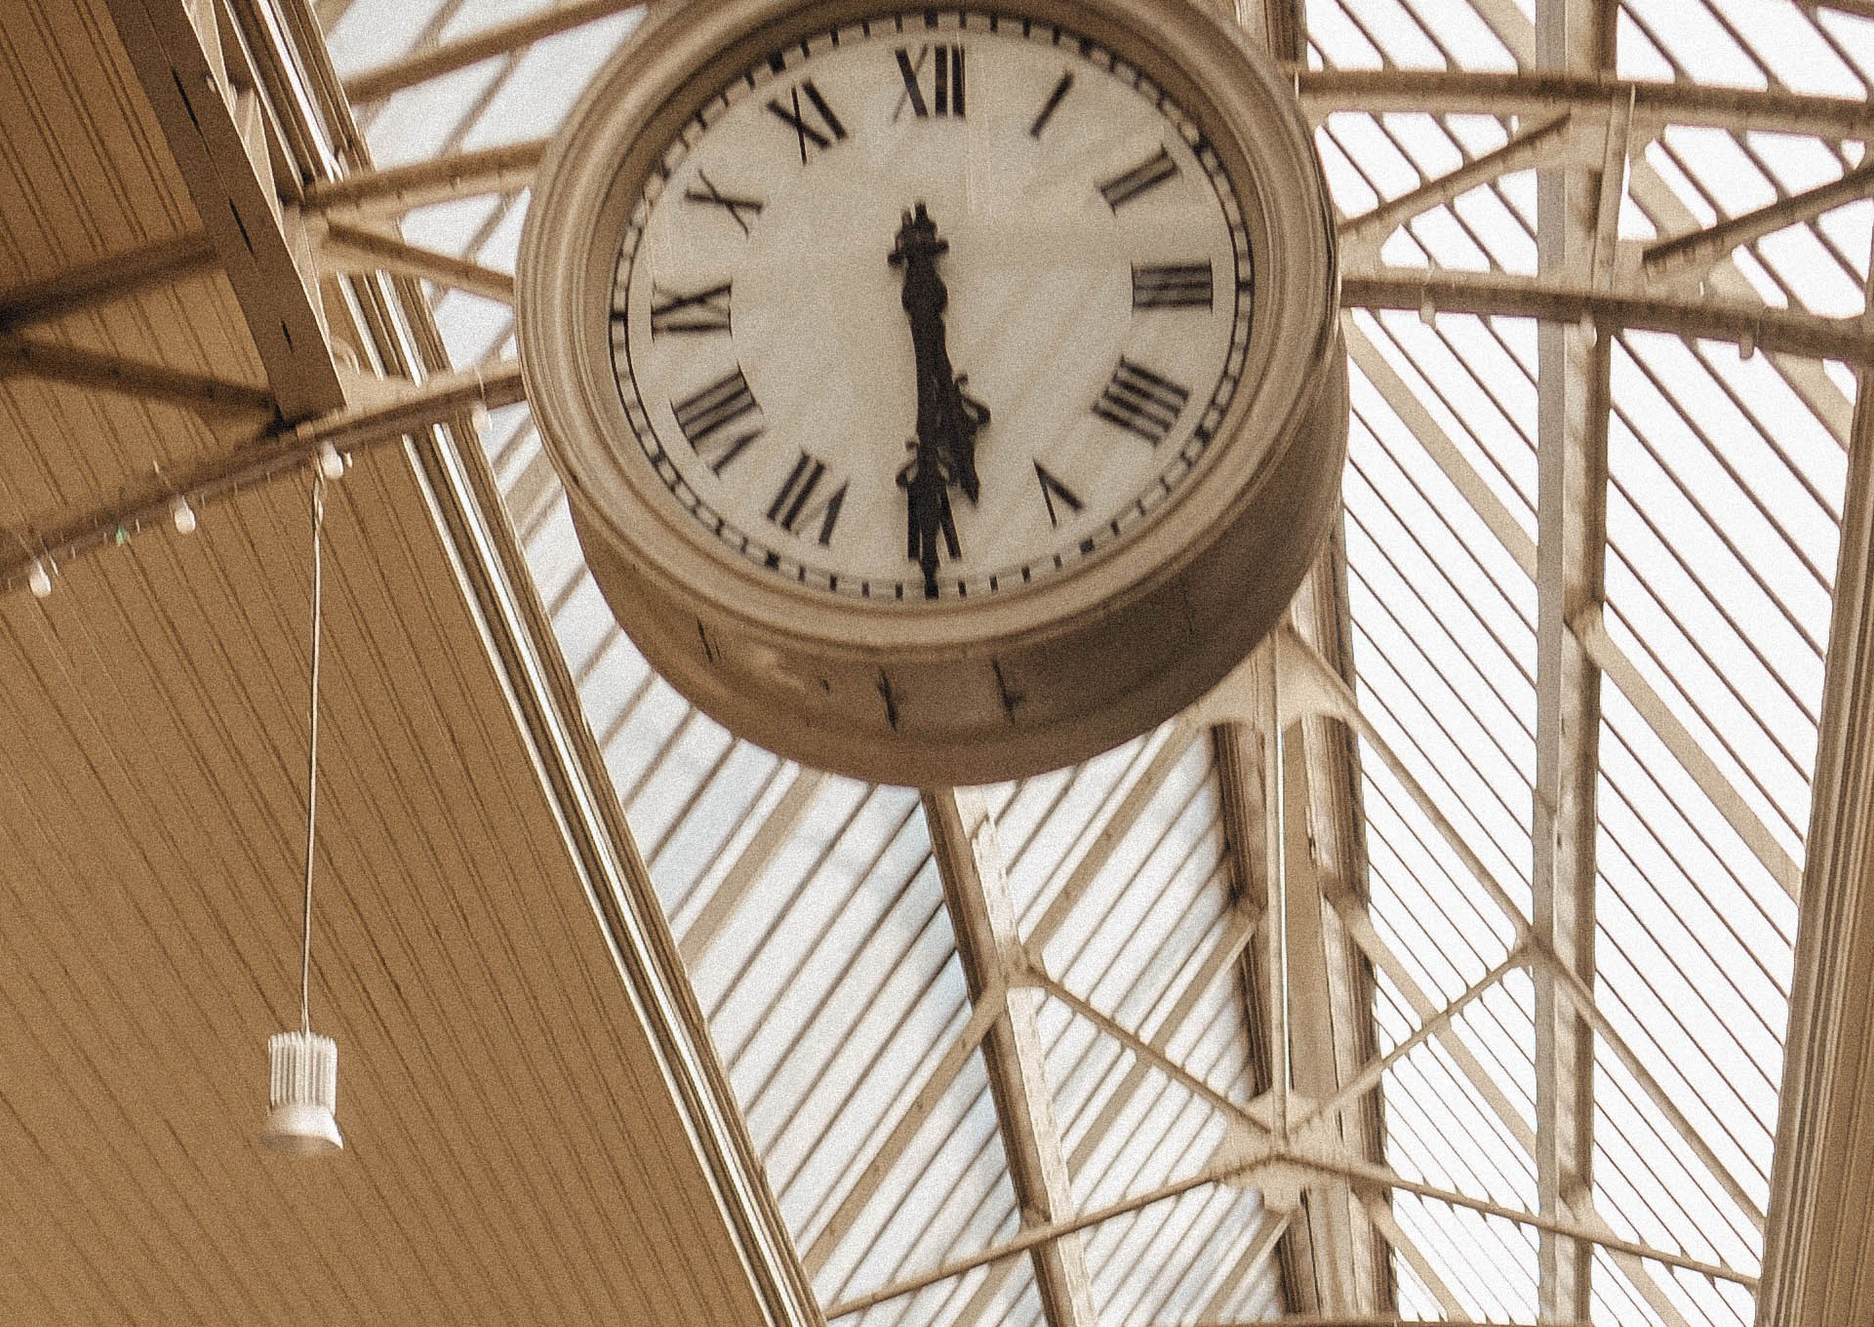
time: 5:29
